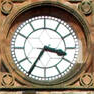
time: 3:35
